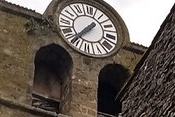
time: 1:36
